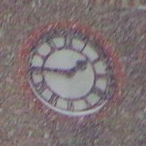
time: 1:46
